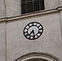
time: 7:28
